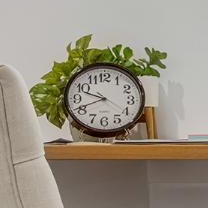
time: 9:41
